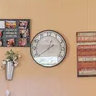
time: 12:39
